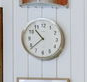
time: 10:38
